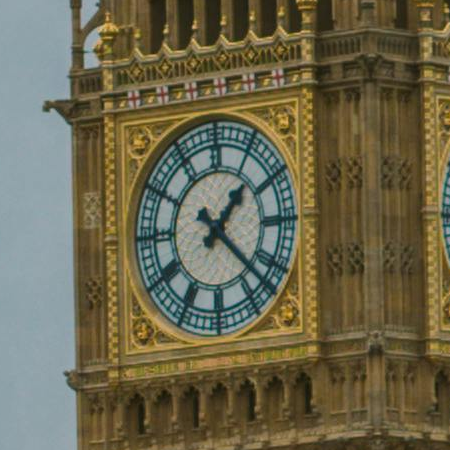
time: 1:22
